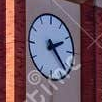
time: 2:22
